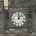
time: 12:07
